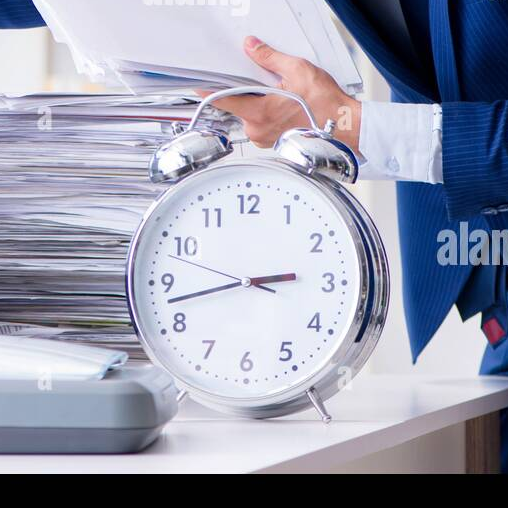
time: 2:42
